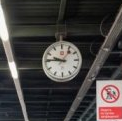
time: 9:45
